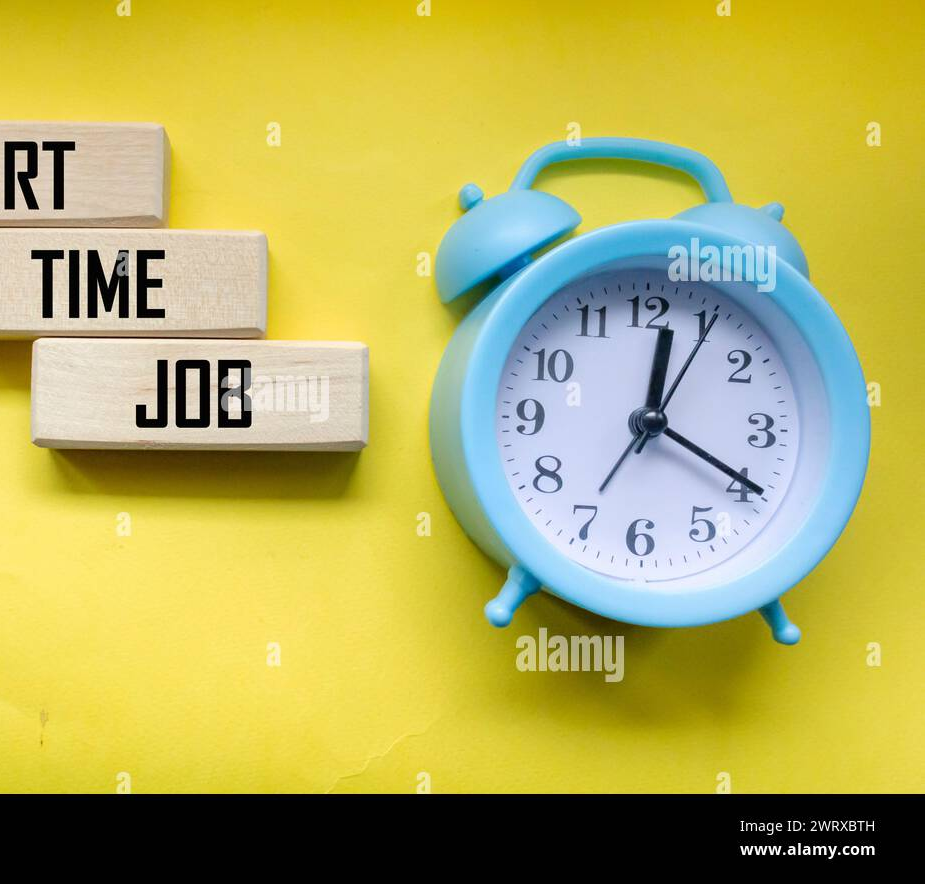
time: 12:19
